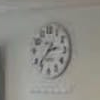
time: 2:37
